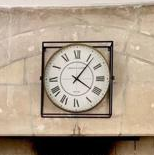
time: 4:06
